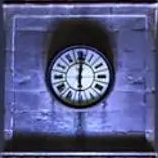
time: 6:00
